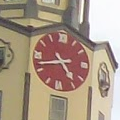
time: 4:42
